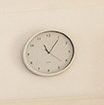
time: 11:05
